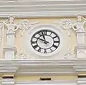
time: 9:57
